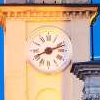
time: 8:11
